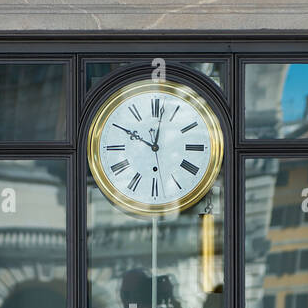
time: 10:01
